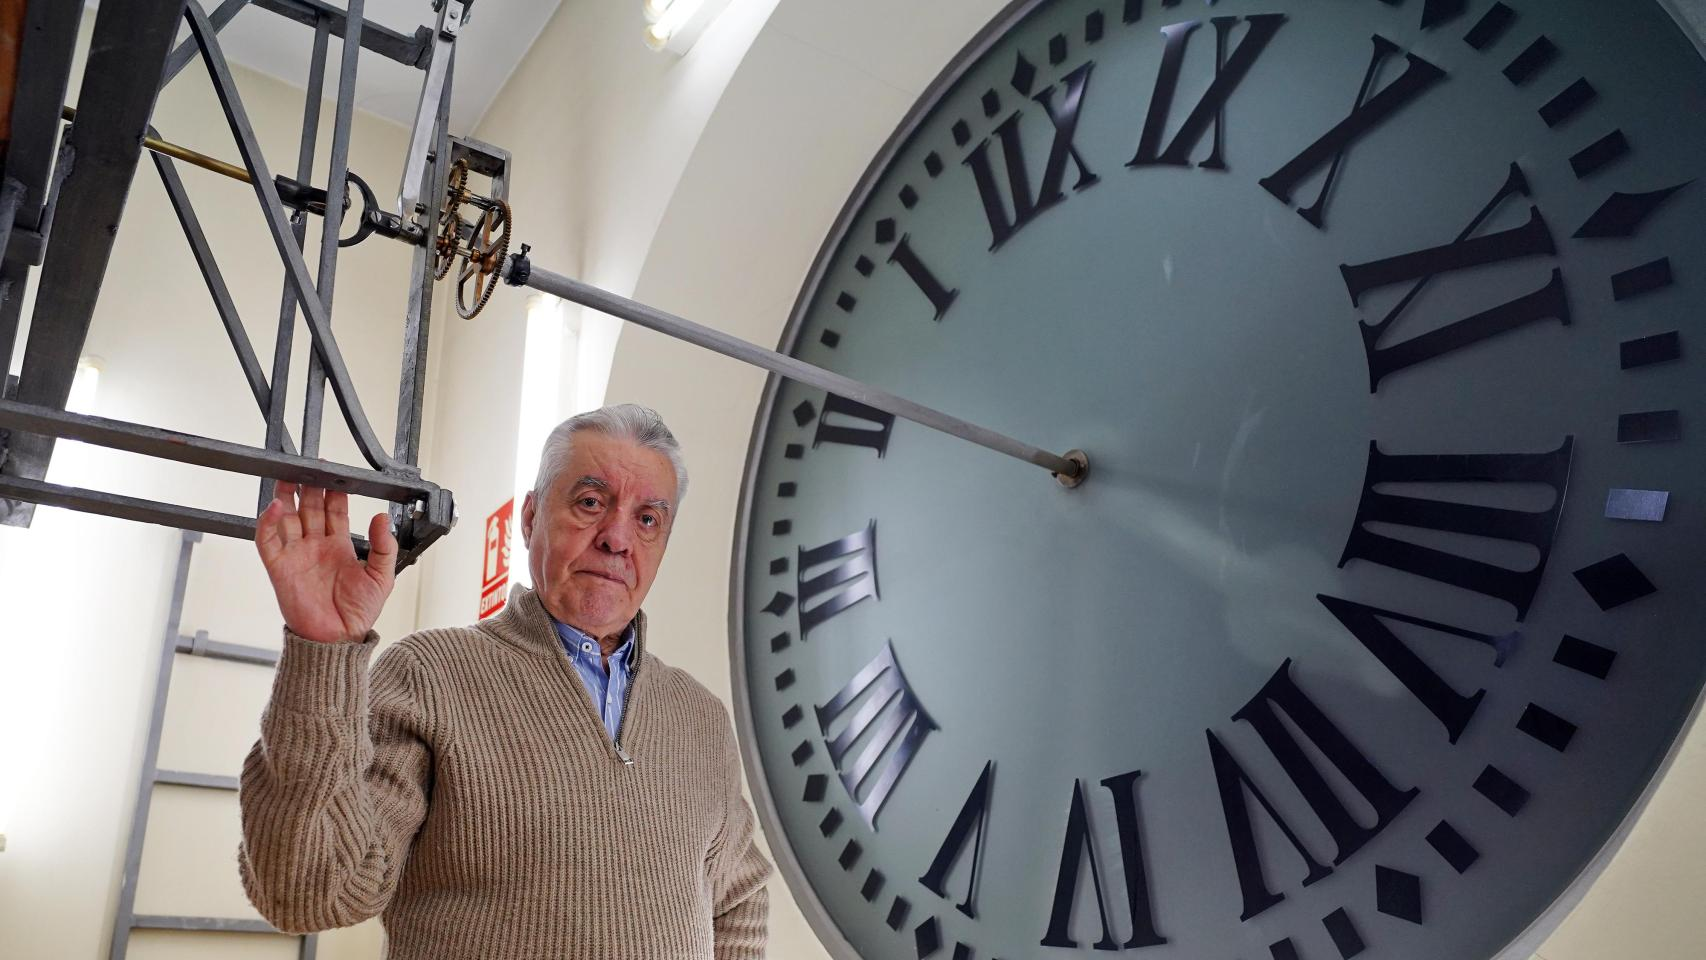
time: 3:45
